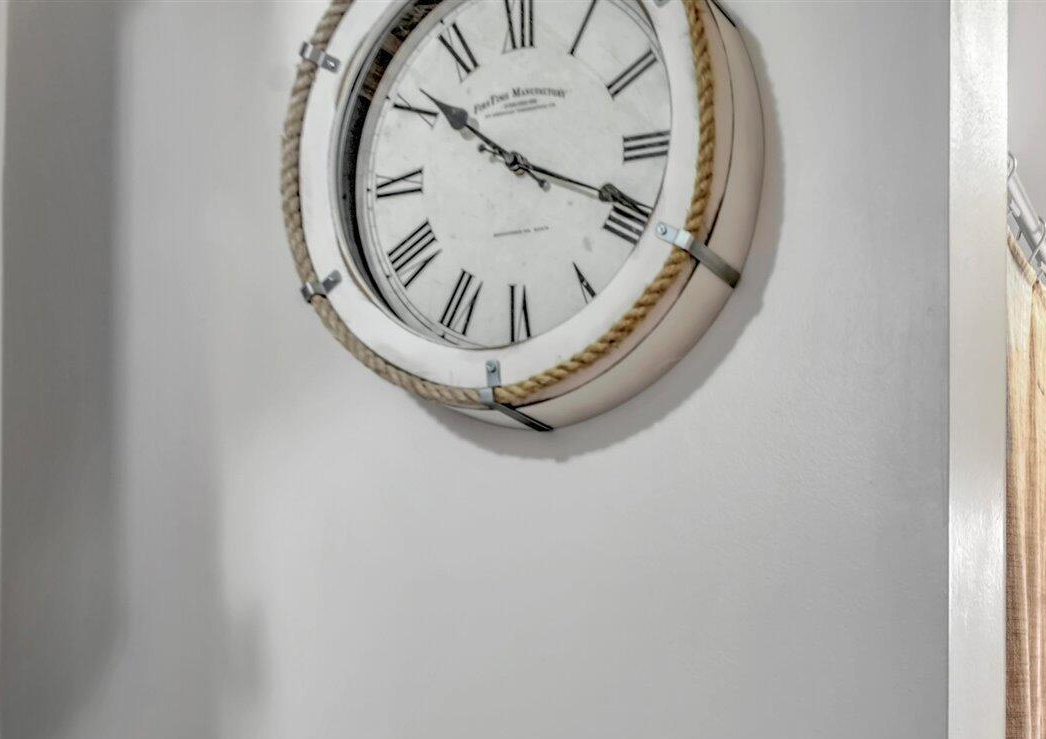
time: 10:18
